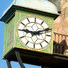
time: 9:11
